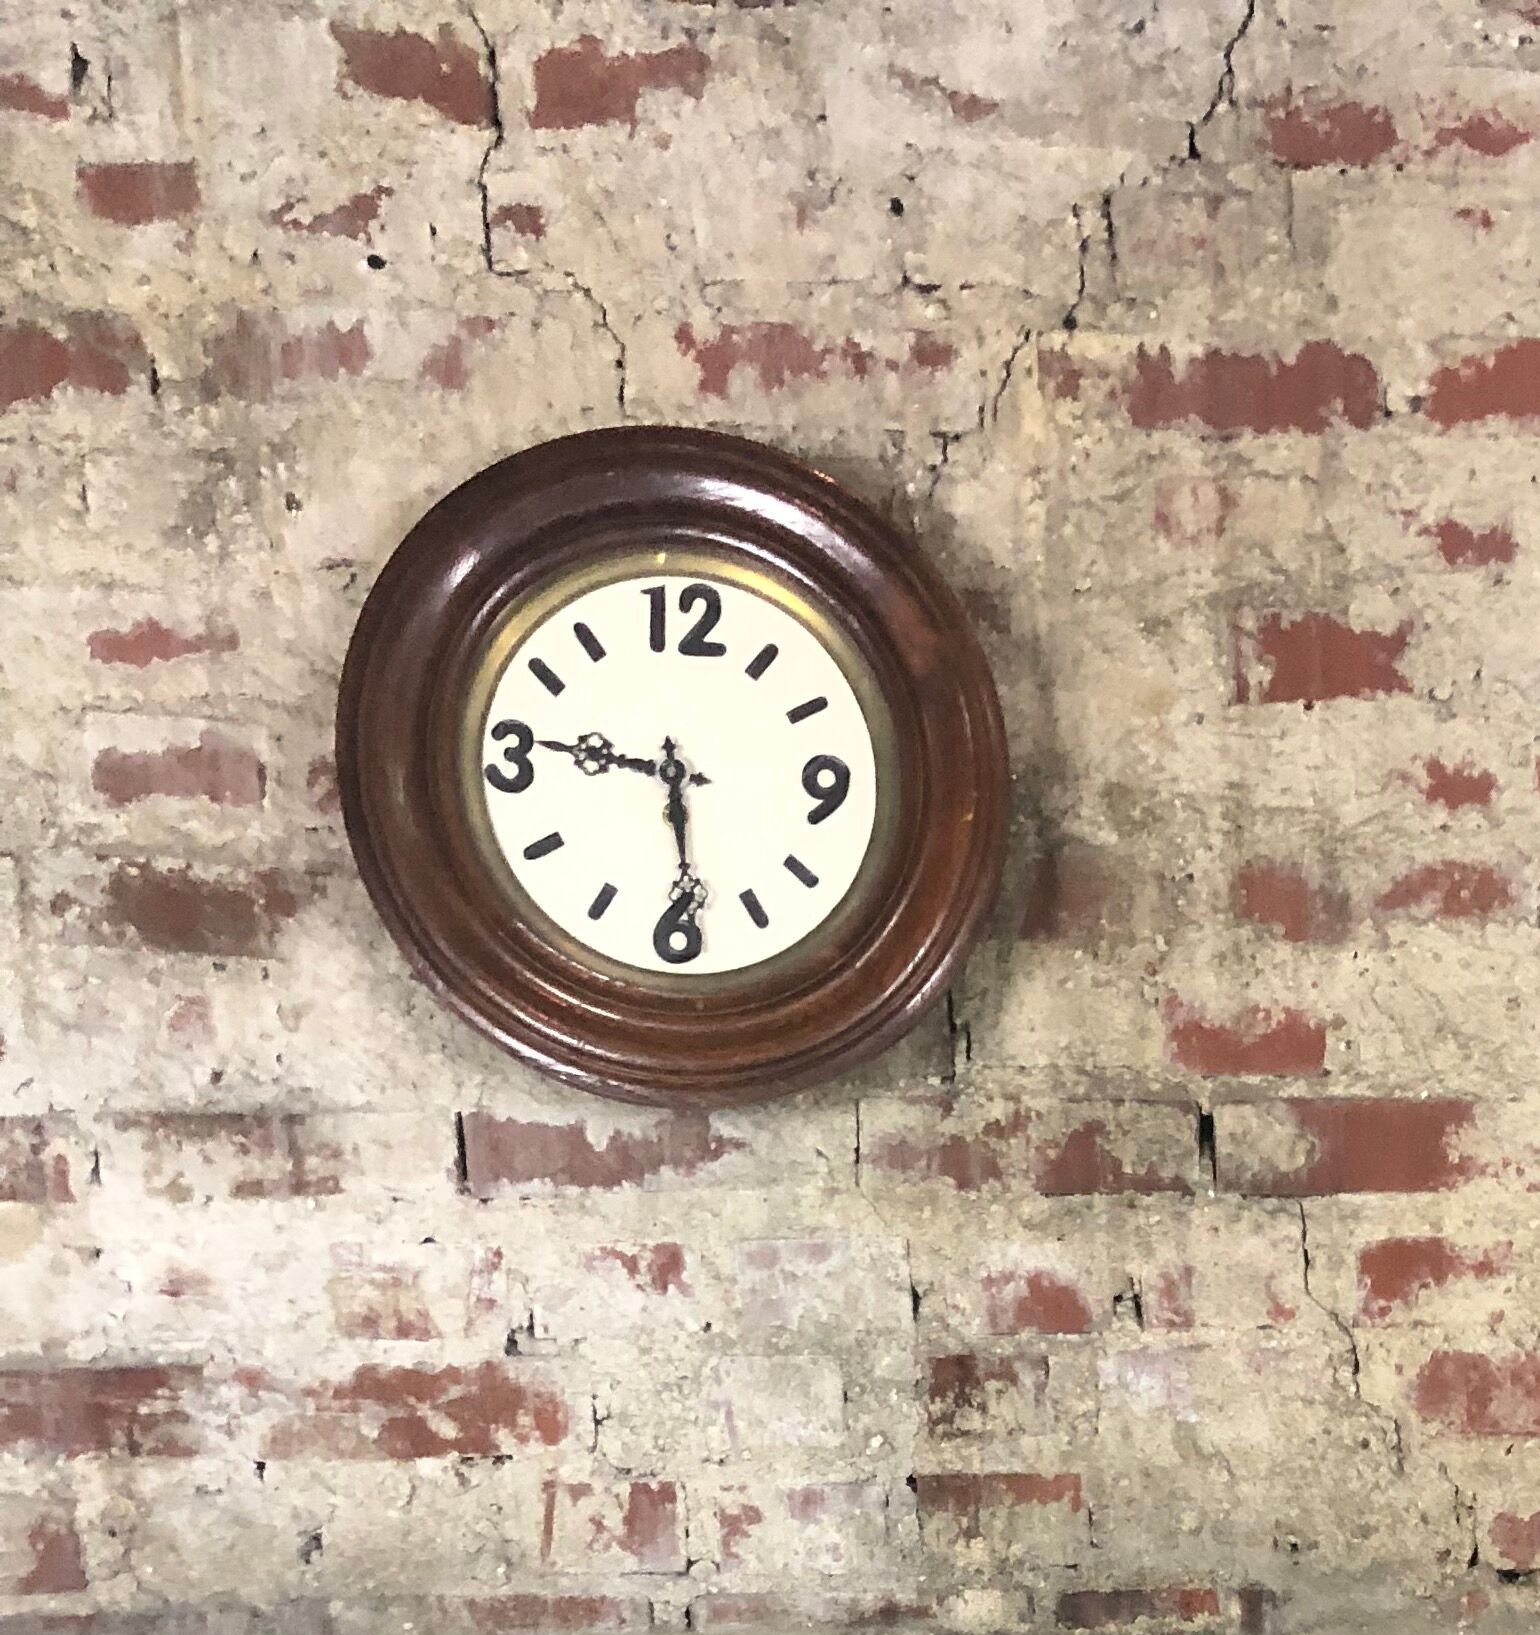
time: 5:46
